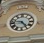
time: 4:46
